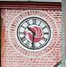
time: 10:31
